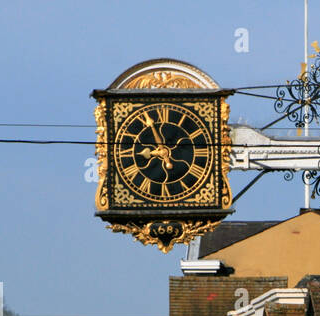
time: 8:56
